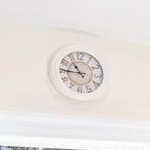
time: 10:45
